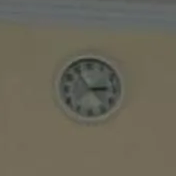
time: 2:53
